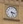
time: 3:26
